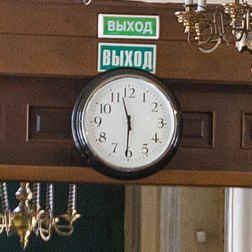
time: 11:30
